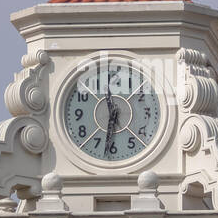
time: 11:32
